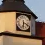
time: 6:18
